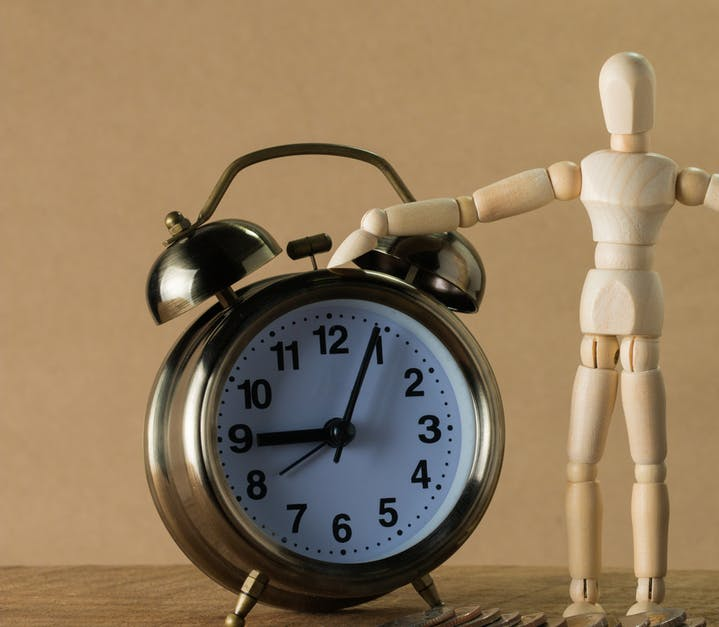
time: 9:04
